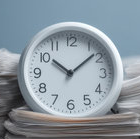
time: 10:08
